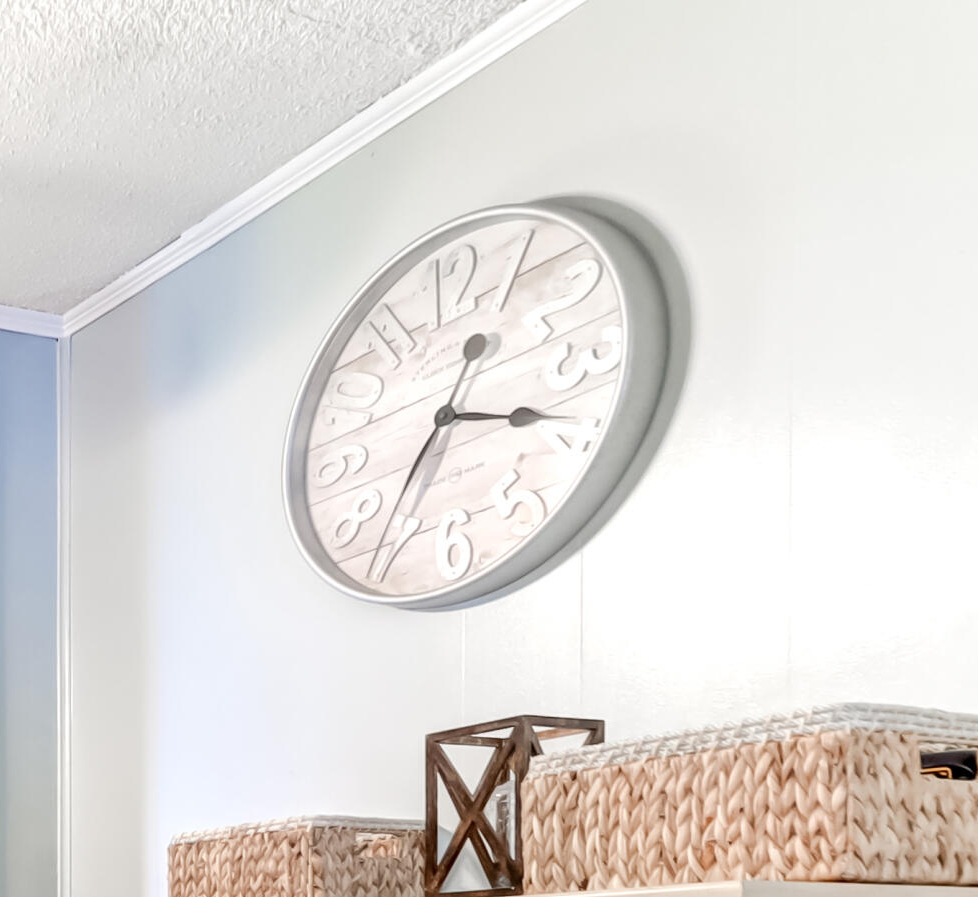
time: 3:36
